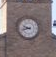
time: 9:42
